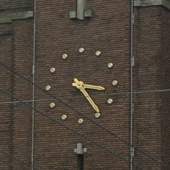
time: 3:24
